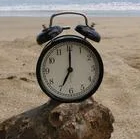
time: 7:00
